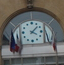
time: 4:07
